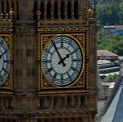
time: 1:54
